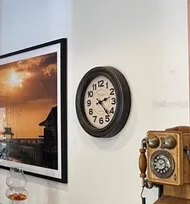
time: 2:22
